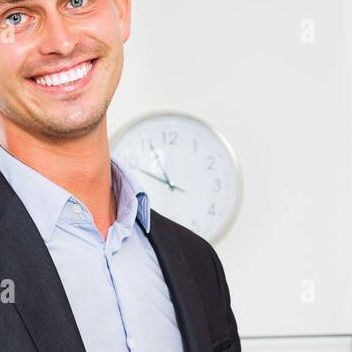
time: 9:56
